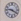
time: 9:20
